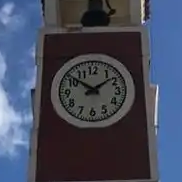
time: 1:51
